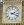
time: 2:18
